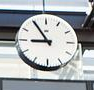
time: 8:54
